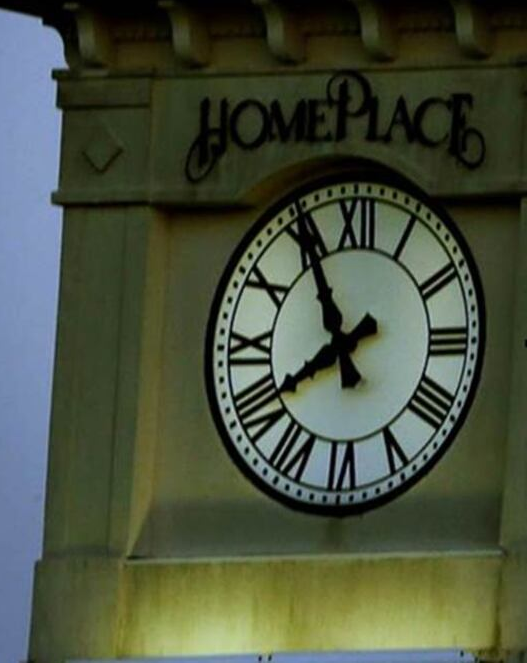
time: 7:54
